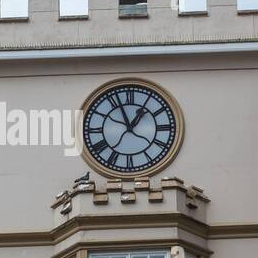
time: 12:56
